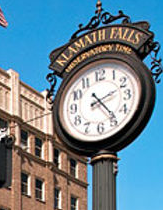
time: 2:23
